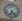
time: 6:23
